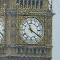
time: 11:20
